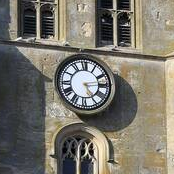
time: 5:14
